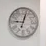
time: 9:02
